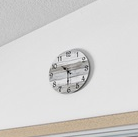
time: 10:30
